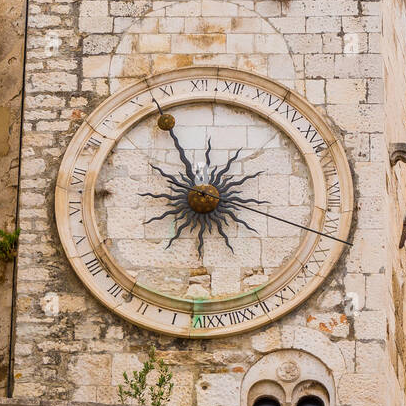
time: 12:55
